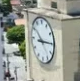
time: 10:14
